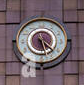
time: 5:22
